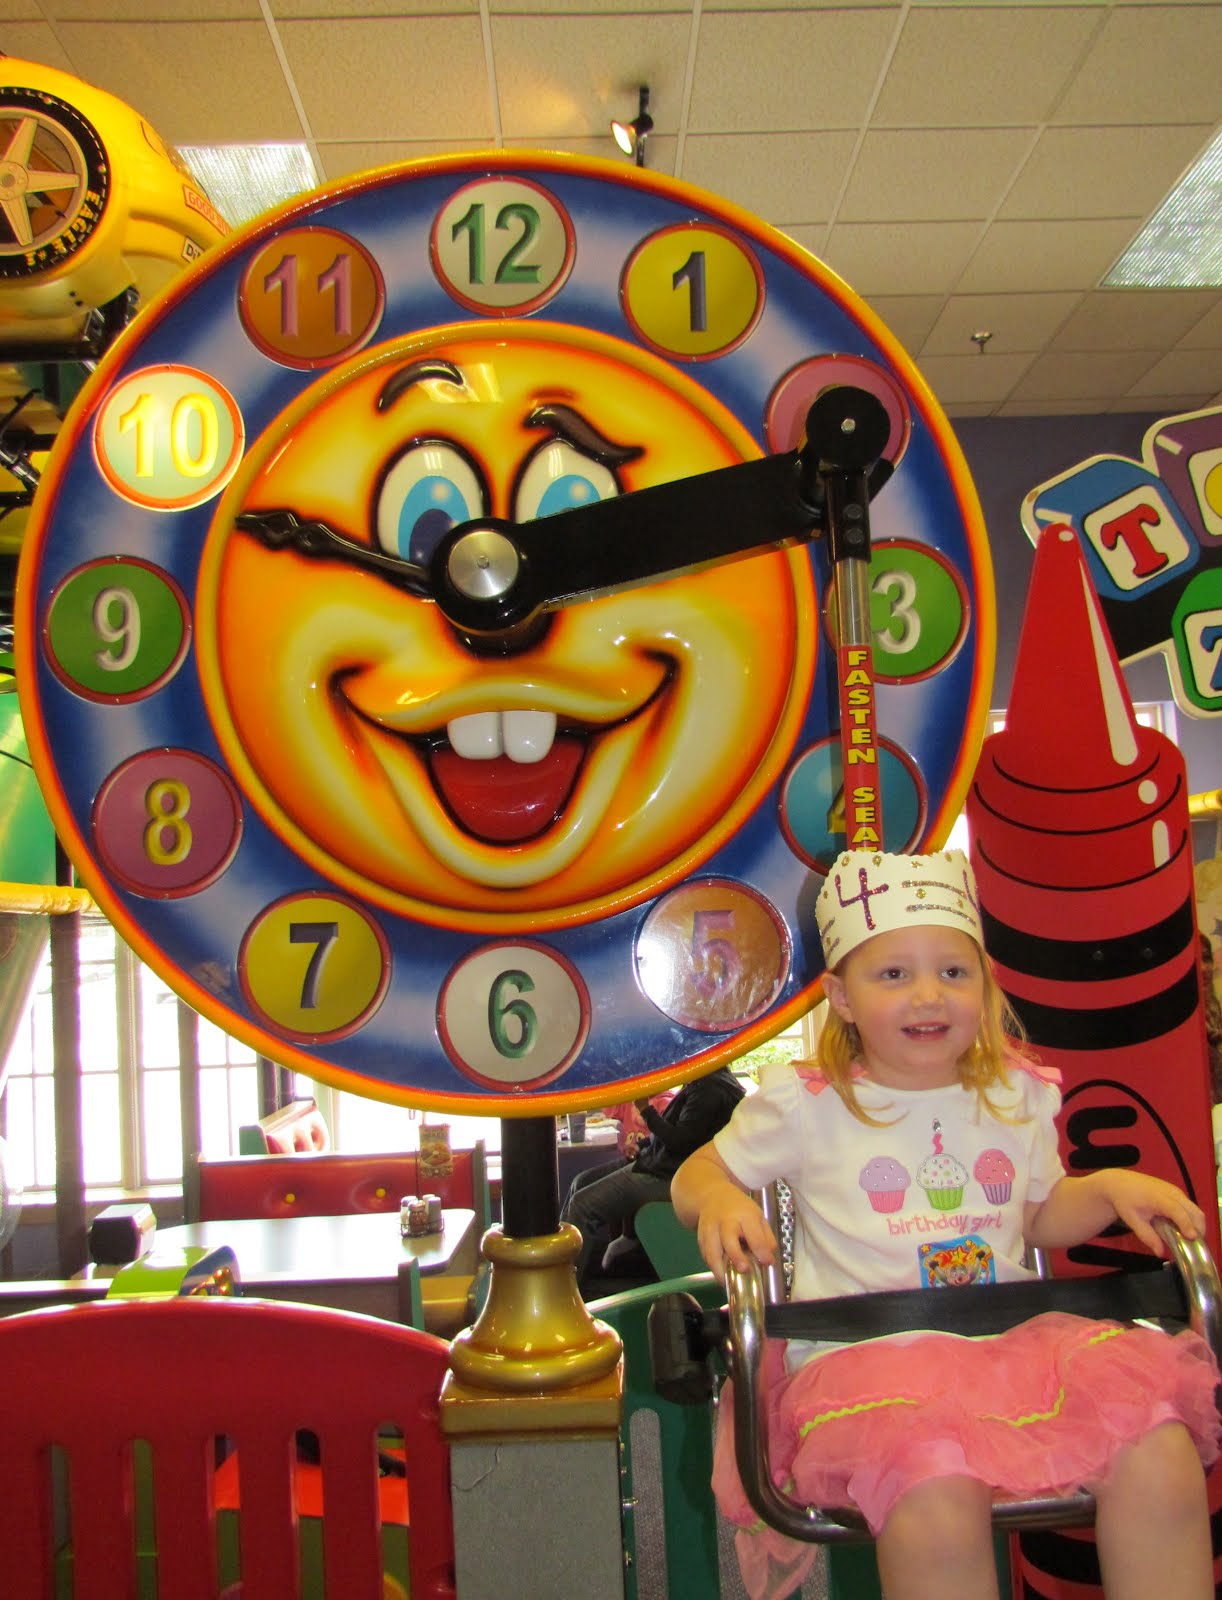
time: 2:48
